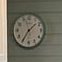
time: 1:35
